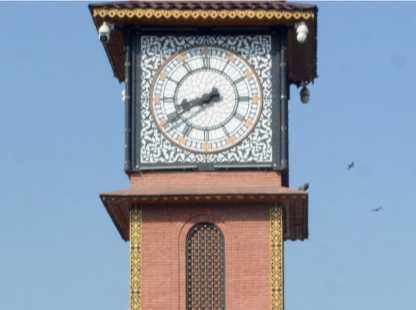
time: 8:40
